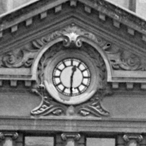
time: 12:30
